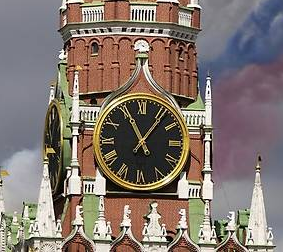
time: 11:06
